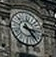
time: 3:23
